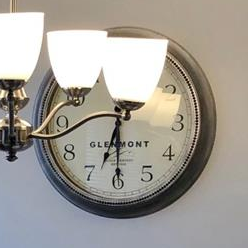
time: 6:29
